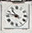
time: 10:47
